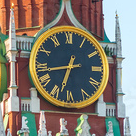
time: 6:43
